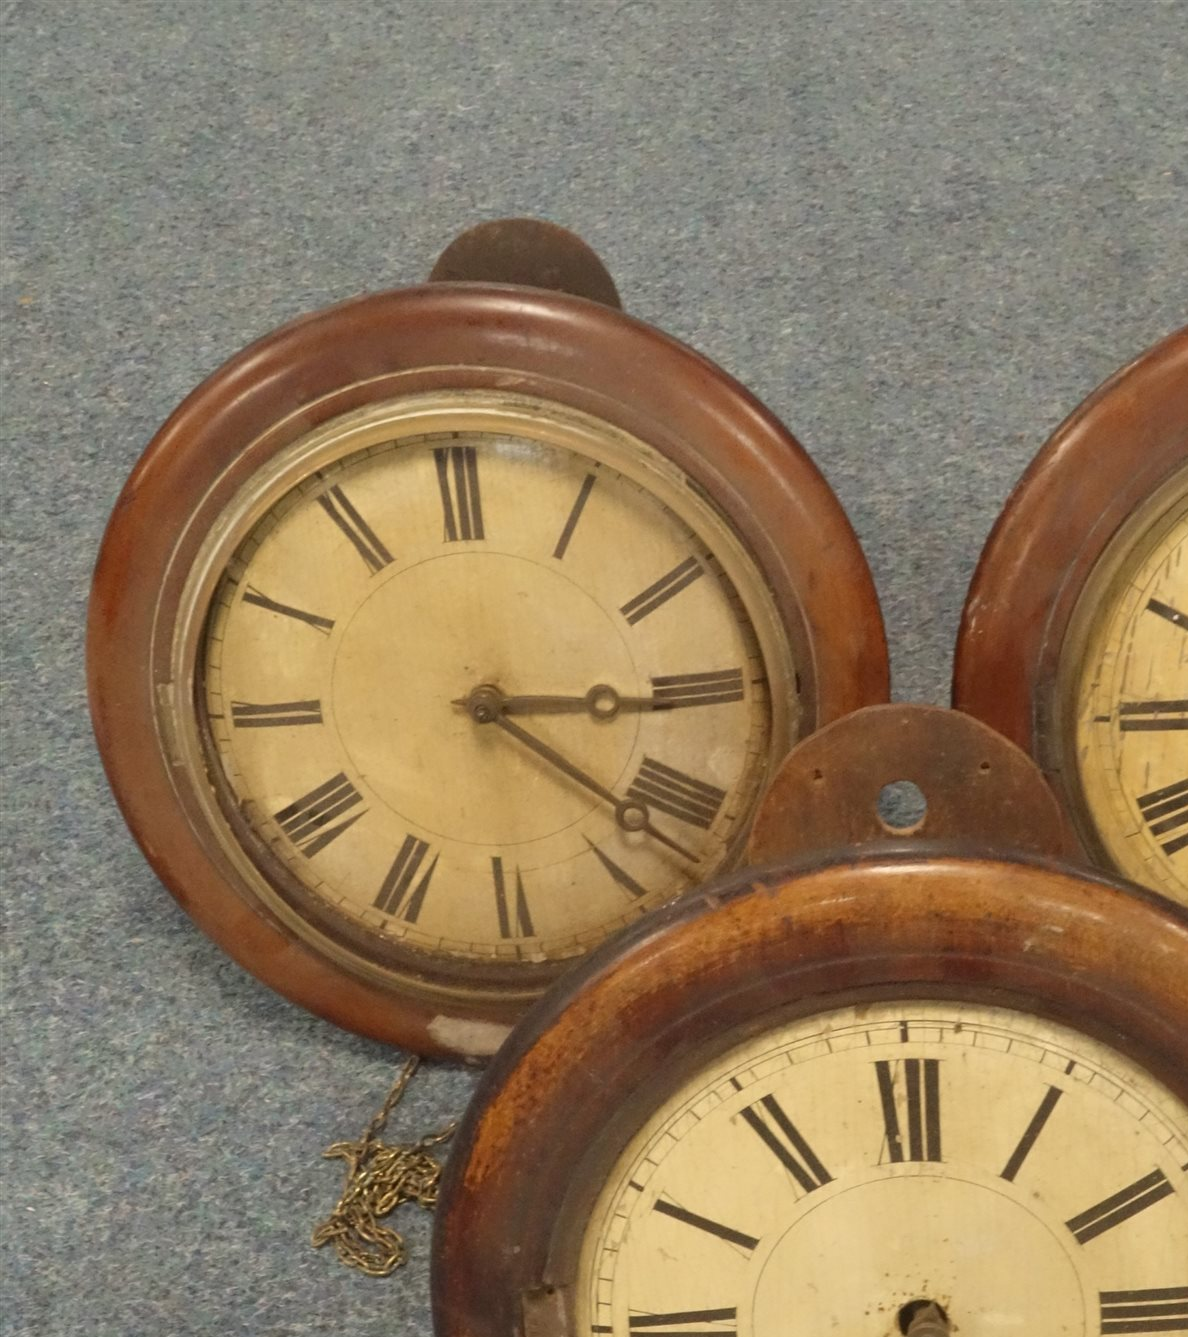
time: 3:22
